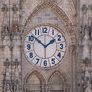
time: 1:51
